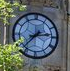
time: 2:37
